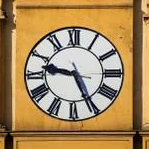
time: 9:25
